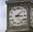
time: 3:07
